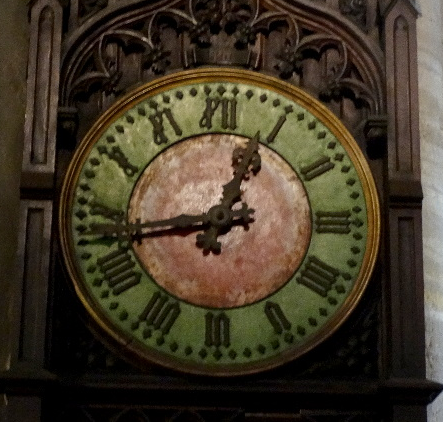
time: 12:43
